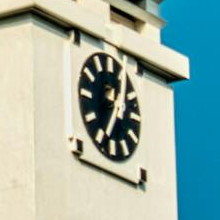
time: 12:34
